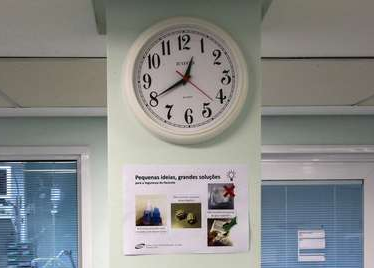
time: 12:40
